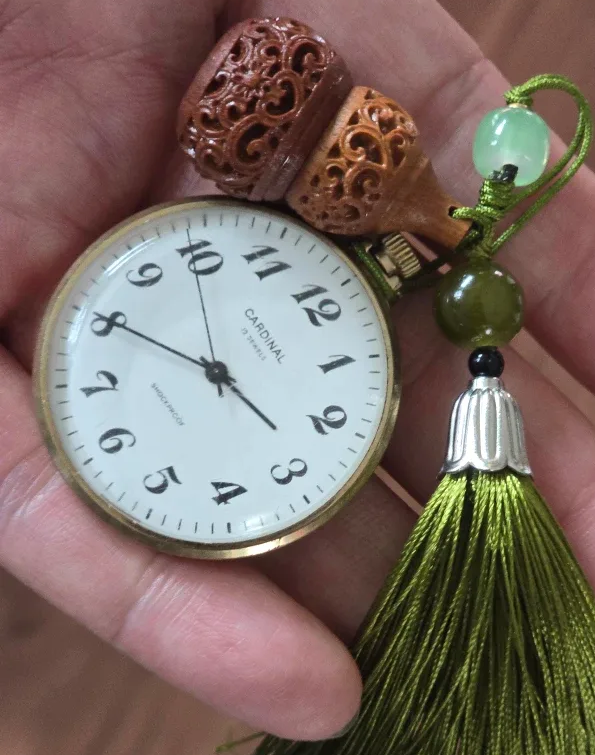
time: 4:50
